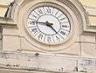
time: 4:45
